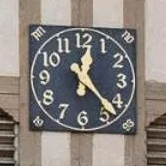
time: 12:22
